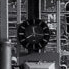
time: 11:40
